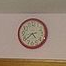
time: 4:38
